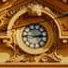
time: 2:45
